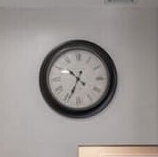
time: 10:34
